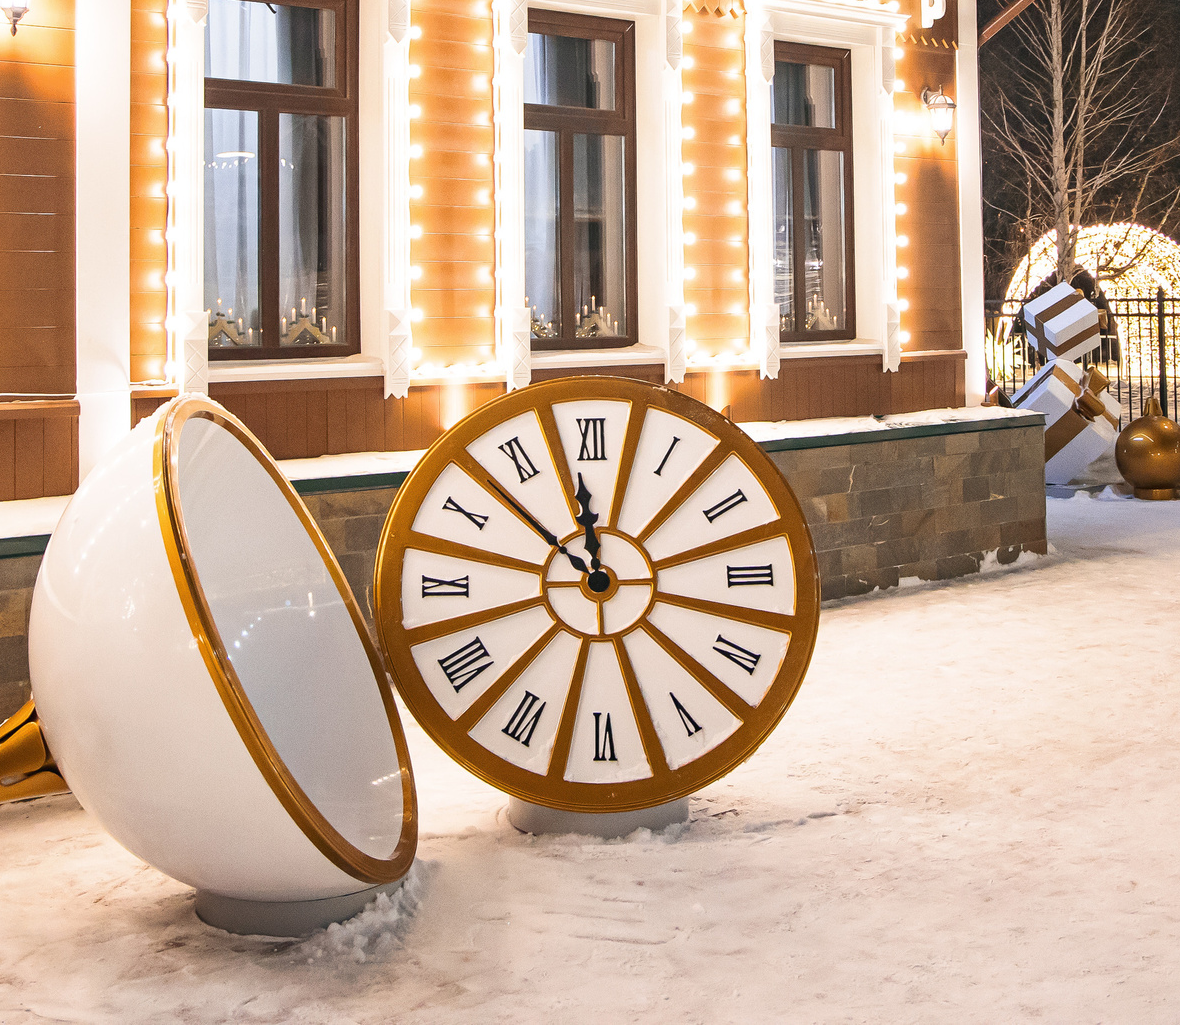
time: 11:52
